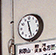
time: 11:27
